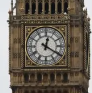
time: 12:20
